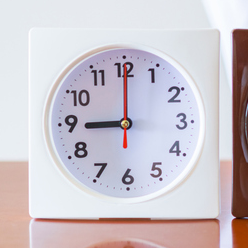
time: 9:00
